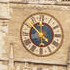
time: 4:52
